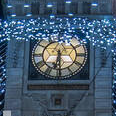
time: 6:29
